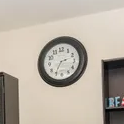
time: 2:34
